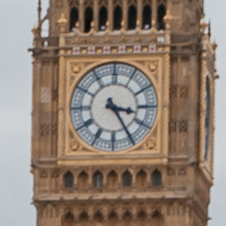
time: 3:24
